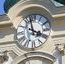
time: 3:58
